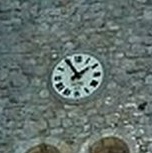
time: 1:54
